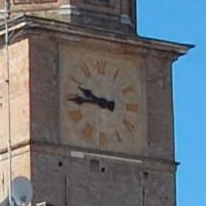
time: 9:44
